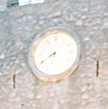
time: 6:40
